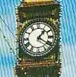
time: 1:20
